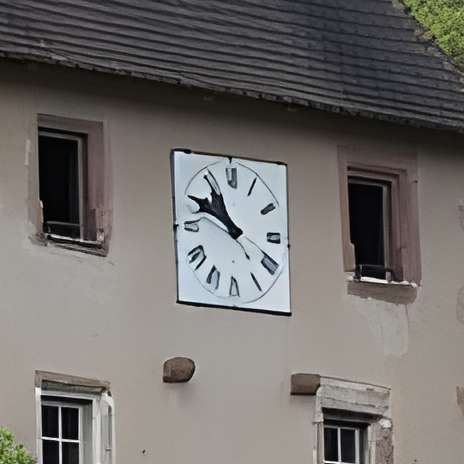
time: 10:49
